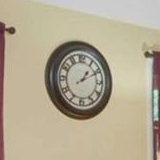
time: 1:10
